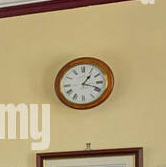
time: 1:18
